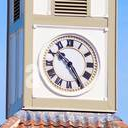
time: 10:24
